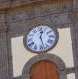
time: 12:27
